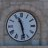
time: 11:28
